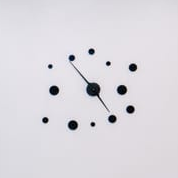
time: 4:53
